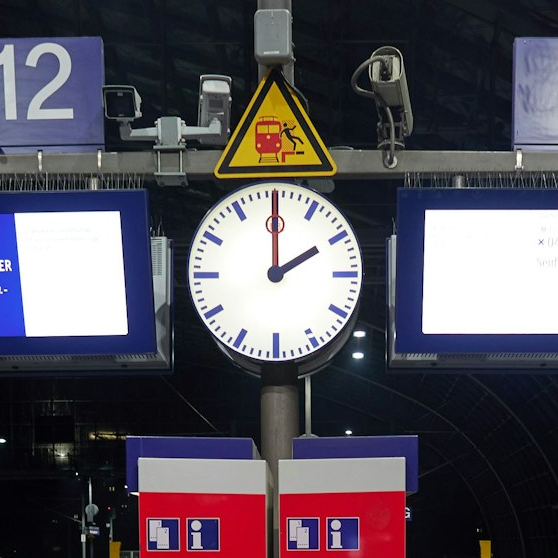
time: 2:00
